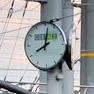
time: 8:01
